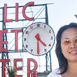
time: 4:30
